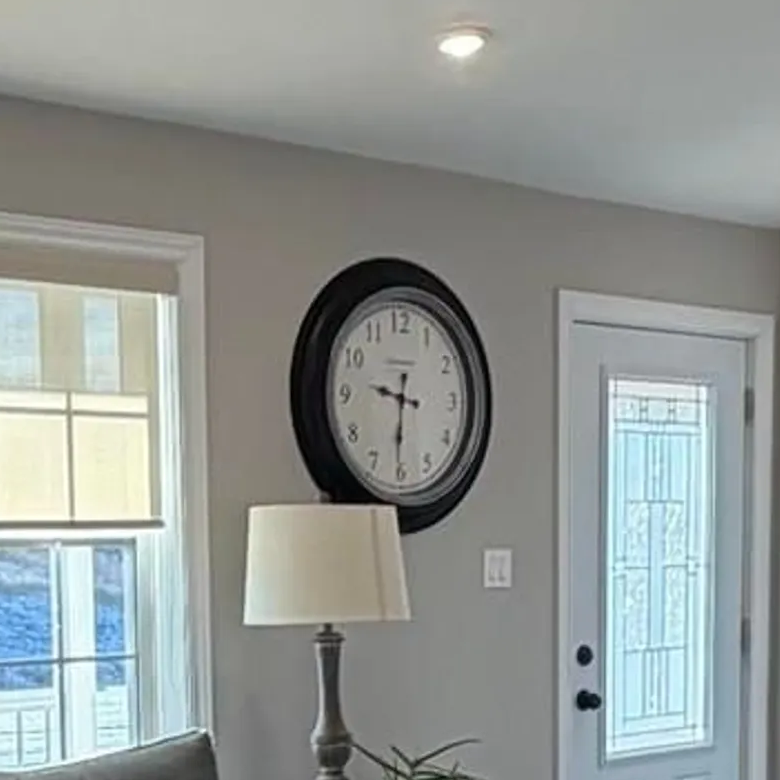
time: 9:30
